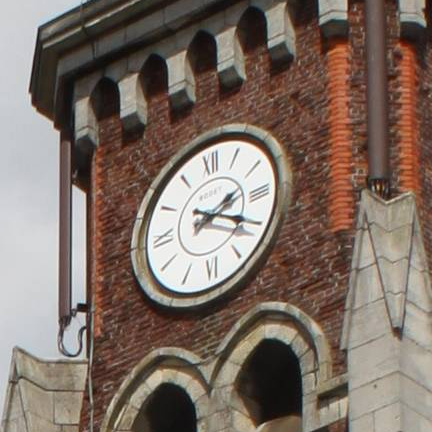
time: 2:19
